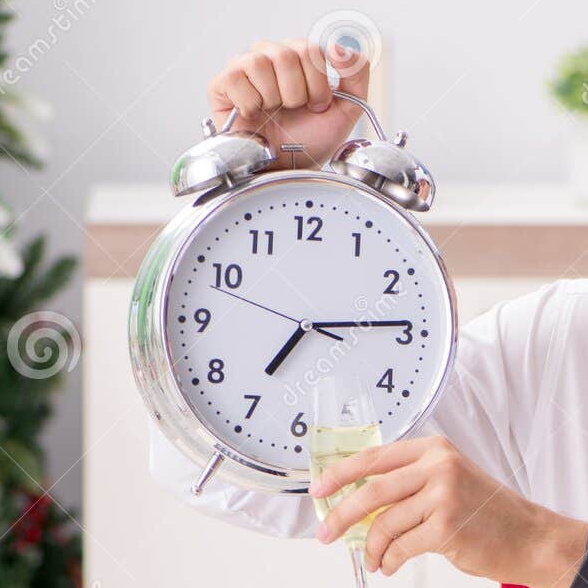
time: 7:14
